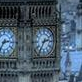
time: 2:35
